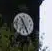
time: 11:25
